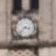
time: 3:37
